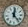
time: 12:23
